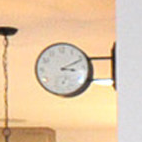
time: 3:11
